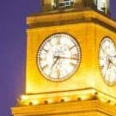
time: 7:16
